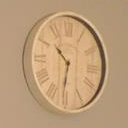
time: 10:31
